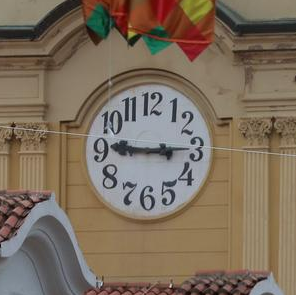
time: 9:14
